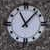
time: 11:07
